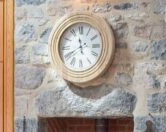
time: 11:40
